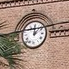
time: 12:07
